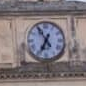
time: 6:54
